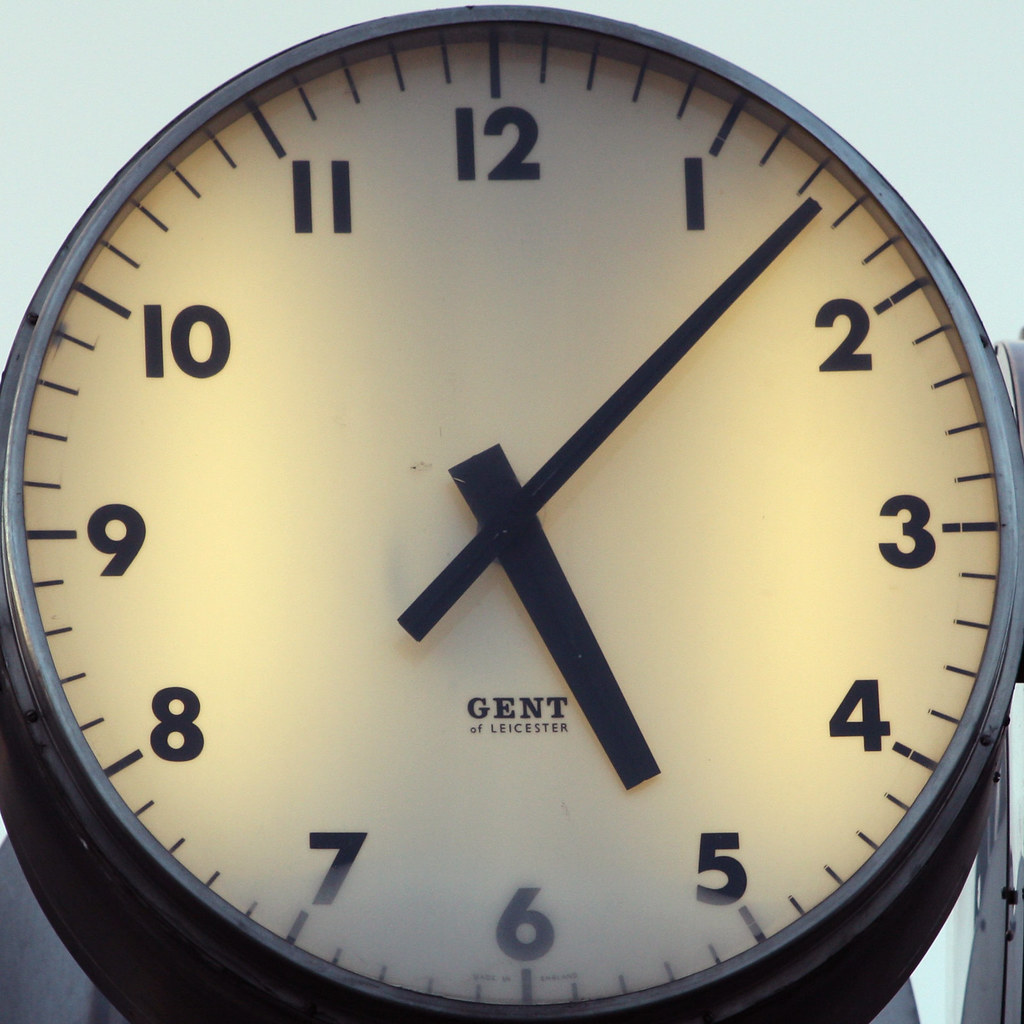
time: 5:07
